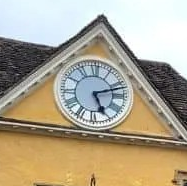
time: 5:12
